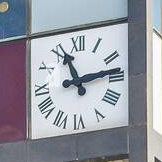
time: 11:13
